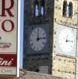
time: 12:13
